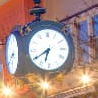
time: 6:39
